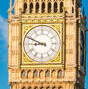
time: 8:48
